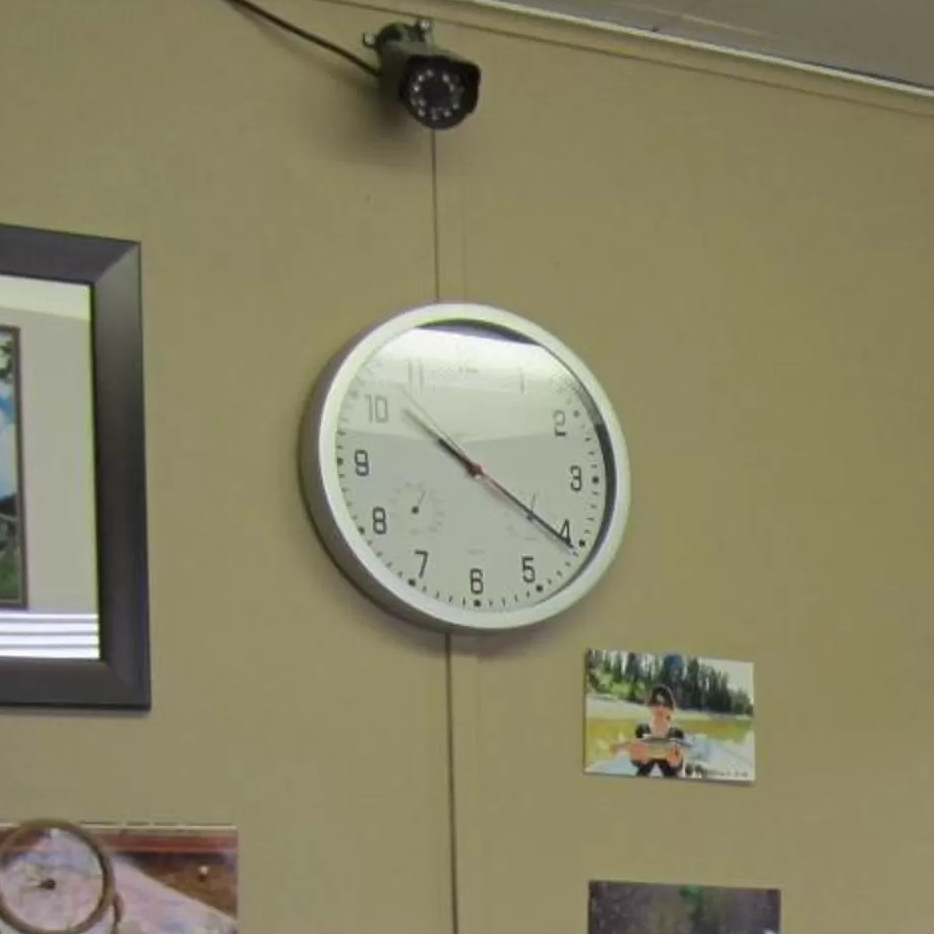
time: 10:20
